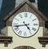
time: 4:42
